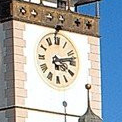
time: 4:12
